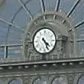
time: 4:26
